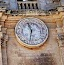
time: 11:31
